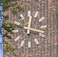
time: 12:16
